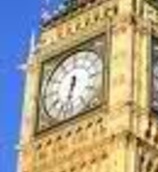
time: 6:32
